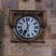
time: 6:58
